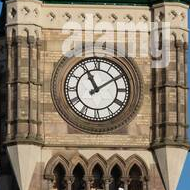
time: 11:09
